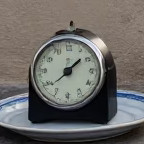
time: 1:38
